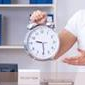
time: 9:29
